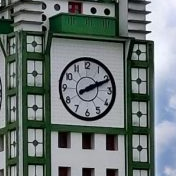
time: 2:11
